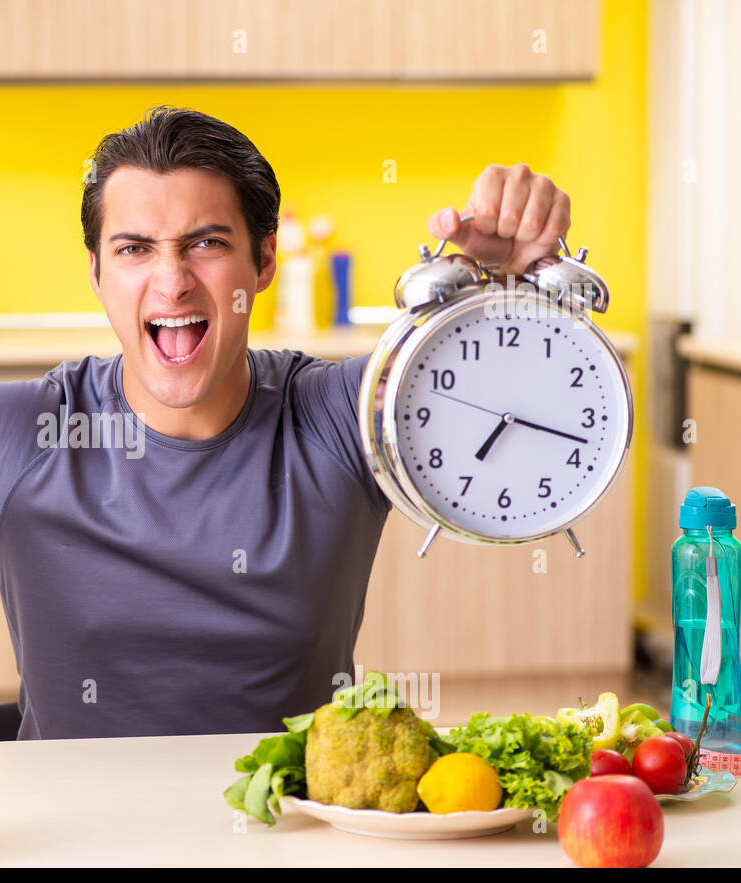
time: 7:17
